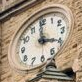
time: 3:59
